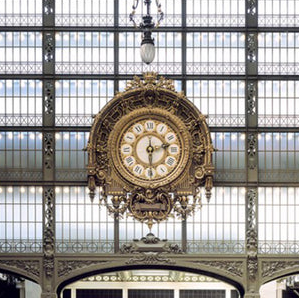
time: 2:29
